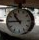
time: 10:45
